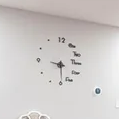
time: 3:29
